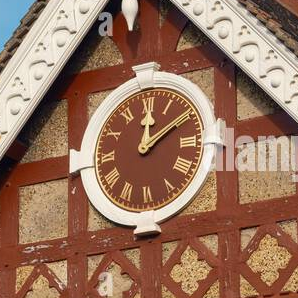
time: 12:09
